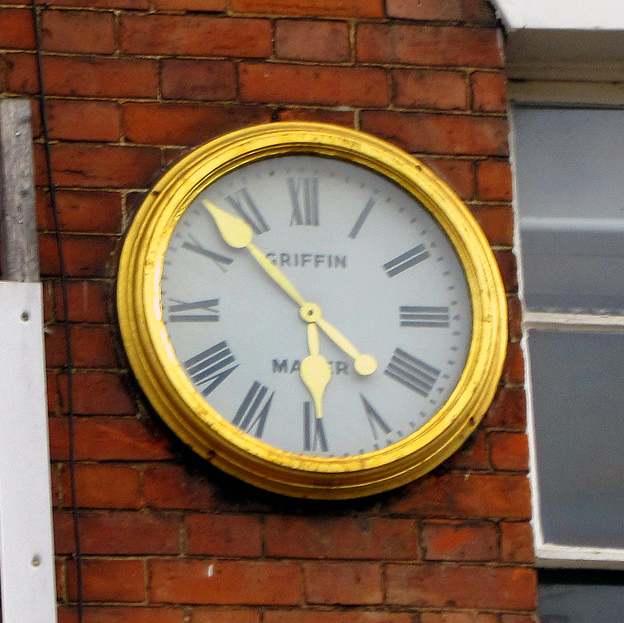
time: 5:52
